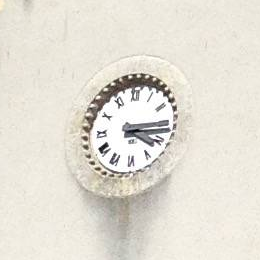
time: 4:15
